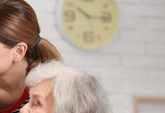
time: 10:15
